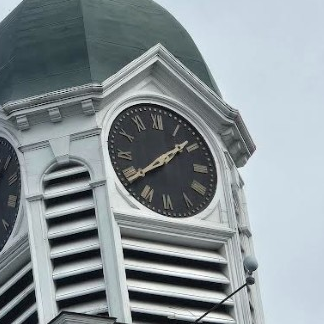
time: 1:39
